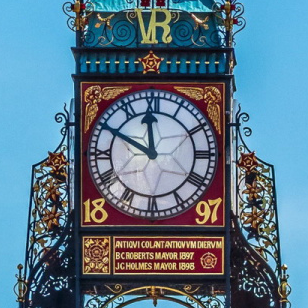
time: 11:49
